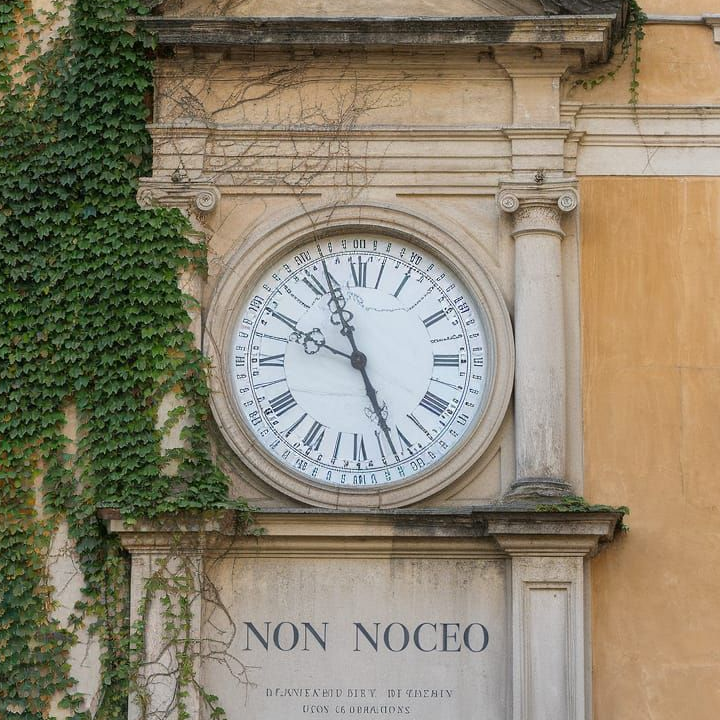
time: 9:56
